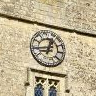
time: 12:44
